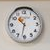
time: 10:32
